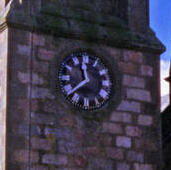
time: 11:38
